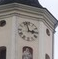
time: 2:57
